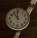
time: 10:59
